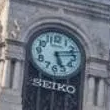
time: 5:12
